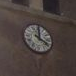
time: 4:00
